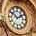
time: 1:50
